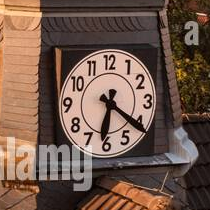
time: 6:21
